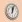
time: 12:03
